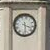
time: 3:28
